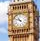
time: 10:48
